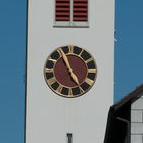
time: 4:56
